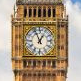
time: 12:56
